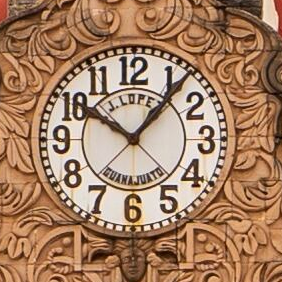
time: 10:06
